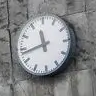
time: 11:43
